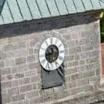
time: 8:32
